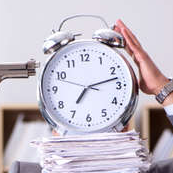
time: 7:12
